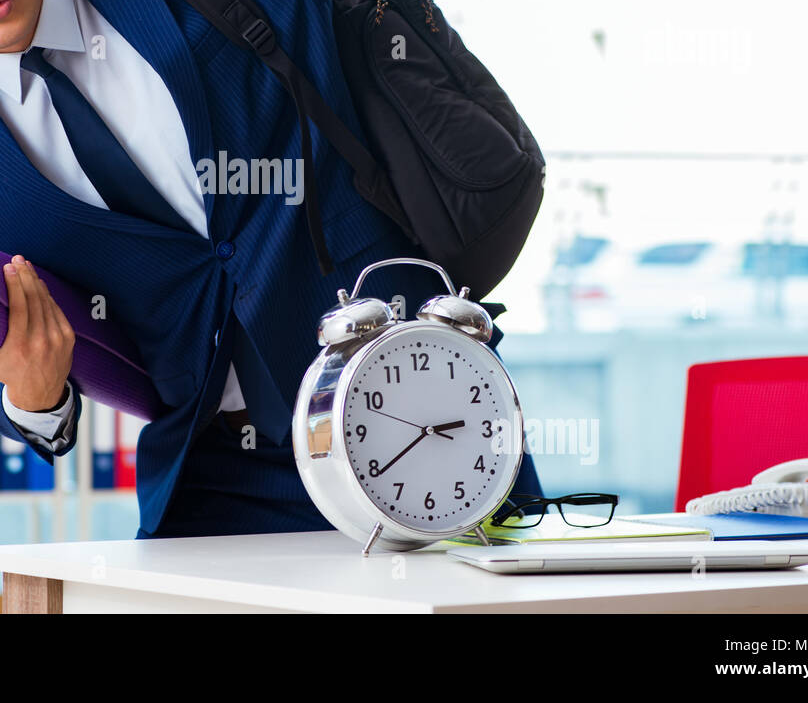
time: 2:39
